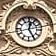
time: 12:24
